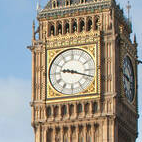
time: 9:18
